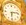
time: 6:13
